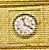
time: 3:57
